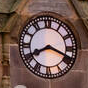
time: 8:18
